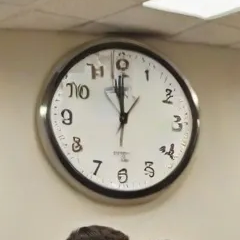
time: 11:58
